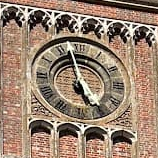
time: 4:57
